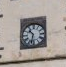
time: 10:32
